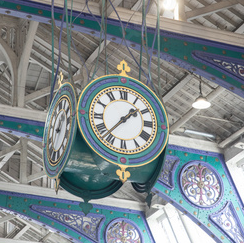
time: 1:36
